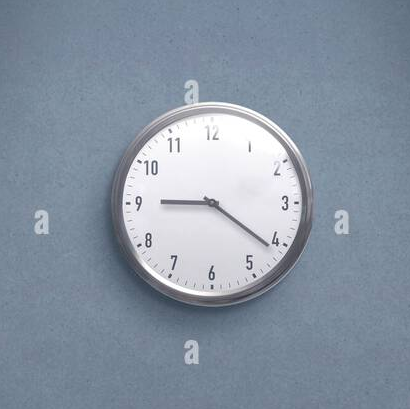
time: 9:21
